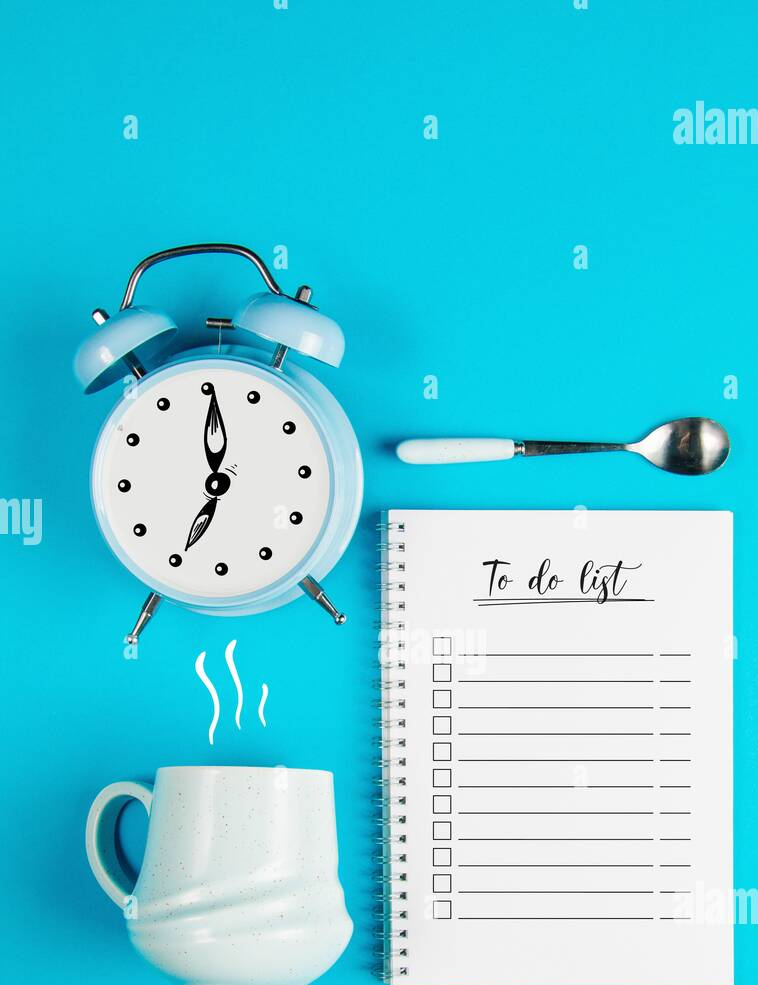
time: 7:00
